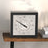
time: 3:50
